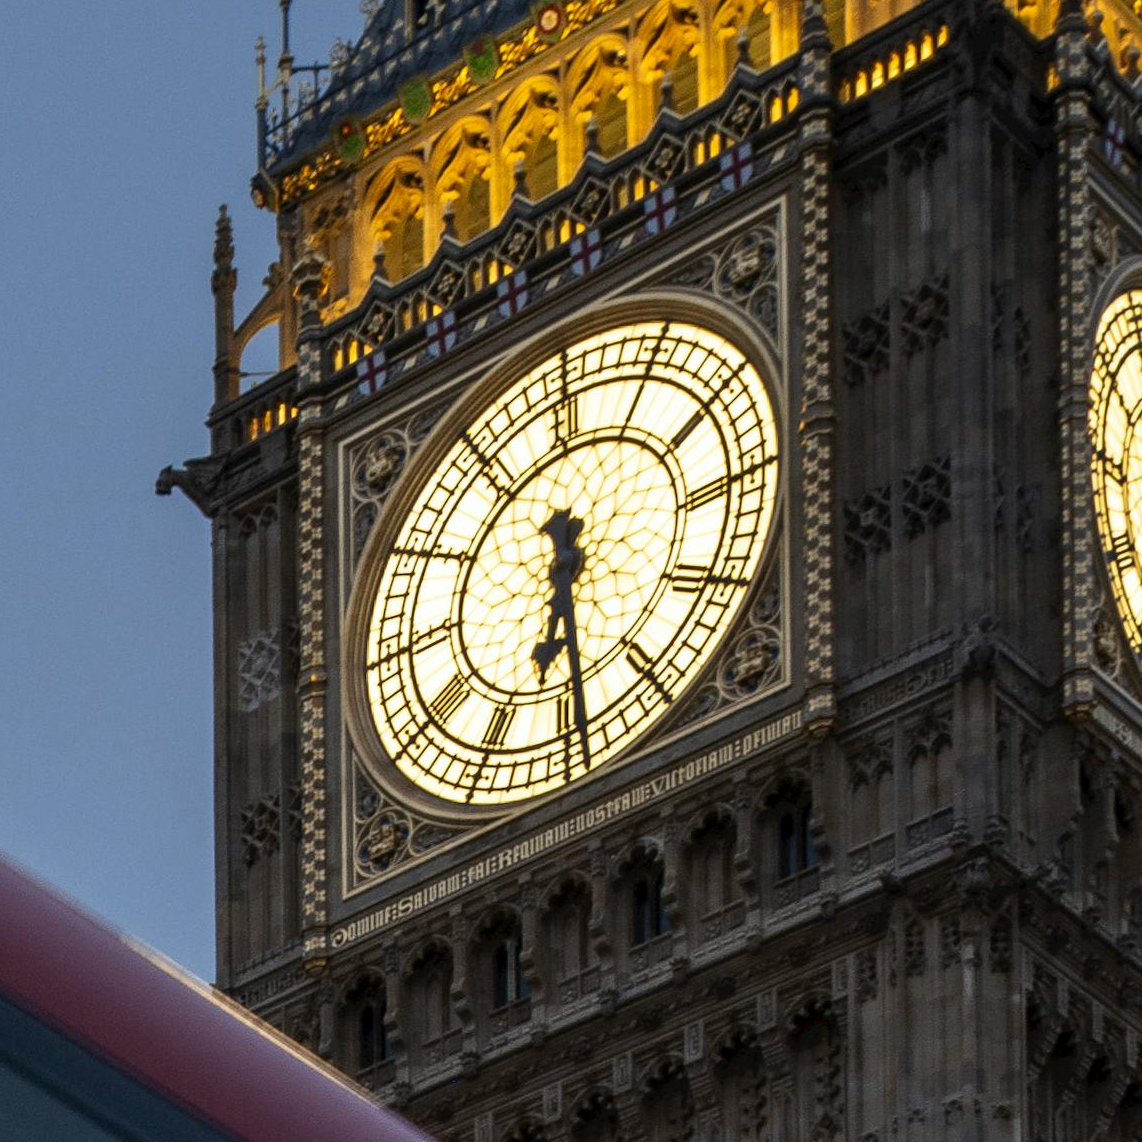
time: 6:29
